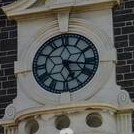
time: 5:16
